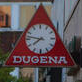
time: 7:46
